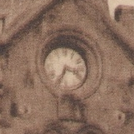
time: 3:34
